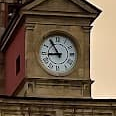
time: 8:54
